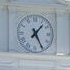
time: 1:25
